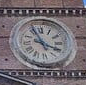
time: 3:56
